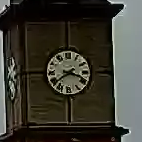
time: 3:39
